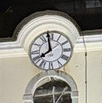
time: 7:58
